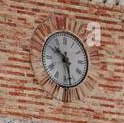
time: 10:28
